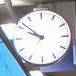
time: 9:51
